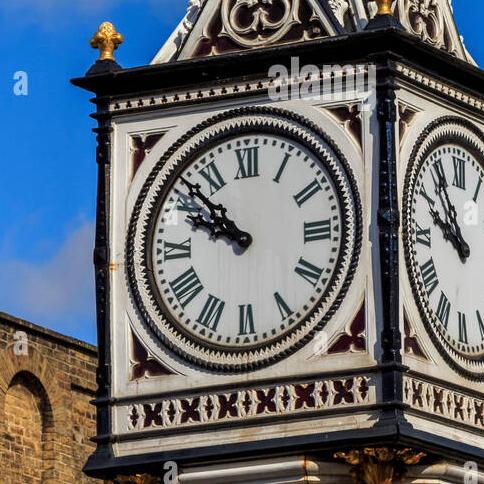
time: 9:52
